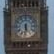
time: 5:31
